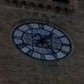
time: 1:24
